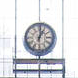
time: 1:01
